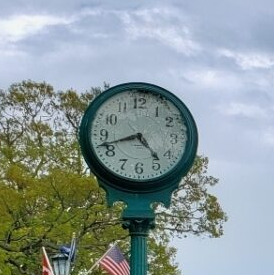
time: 4:42
